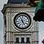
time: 11:25
